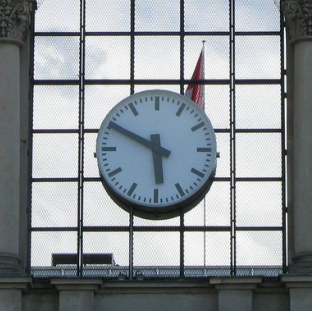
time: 5:49
